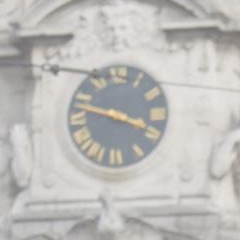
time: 3:47
